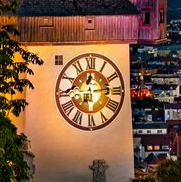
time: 12:13
